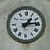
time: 1:13
